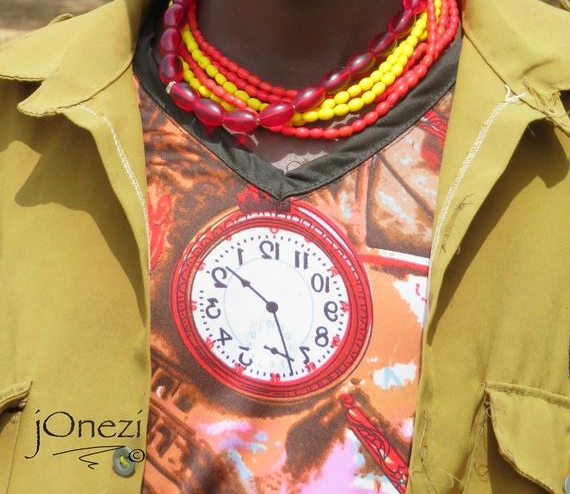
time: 10:27
